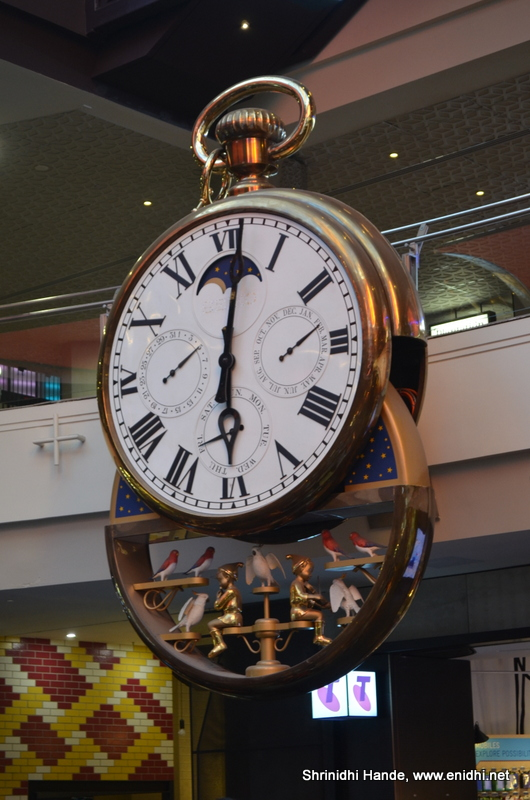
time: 6:01
